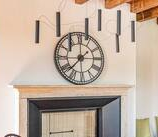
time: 1:37
